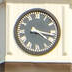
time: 4:16
